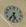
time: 5:35
